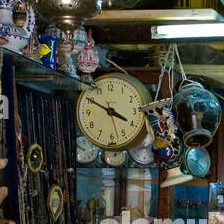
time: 3:50
